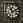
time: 11:11
